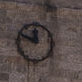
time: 11:48
